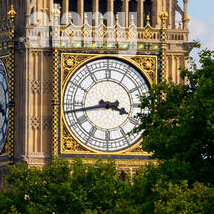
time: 3:43
